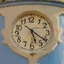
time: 5:21
